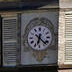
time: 6:22
